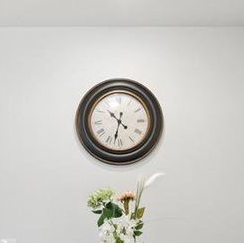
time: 10:32
